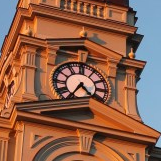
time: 4:34
